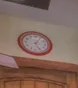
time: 5:05
